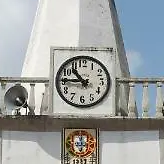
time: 10:45
